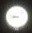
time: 8:47
